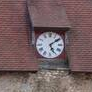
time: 5:08
